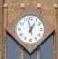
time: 12:57
